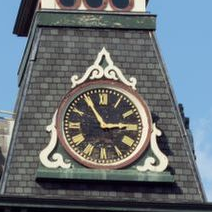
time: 2:54
